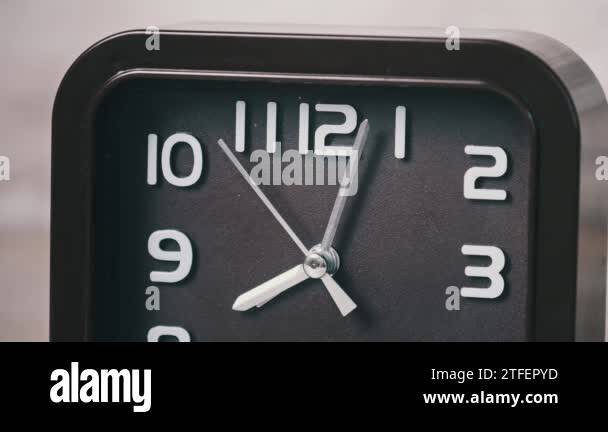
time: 8:03
